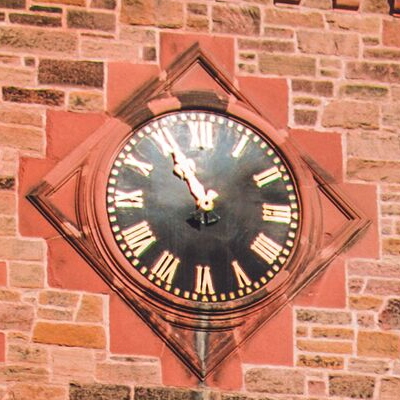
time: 10:55
